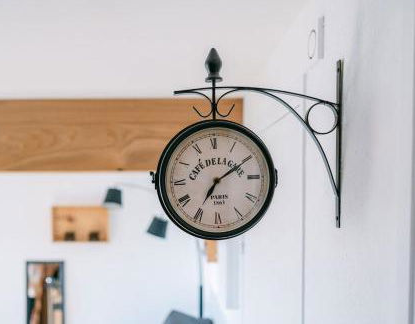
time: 7:09
